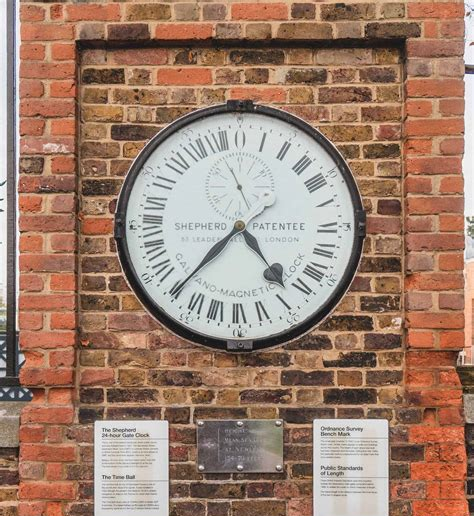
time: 4:37
